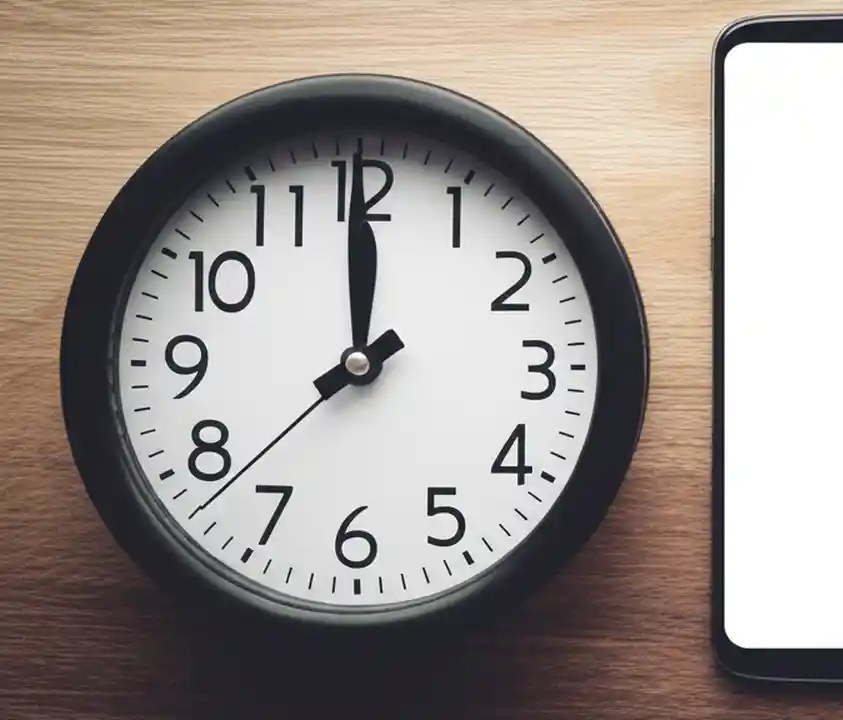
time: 11:59
